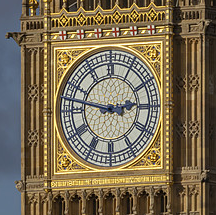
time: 2:47
